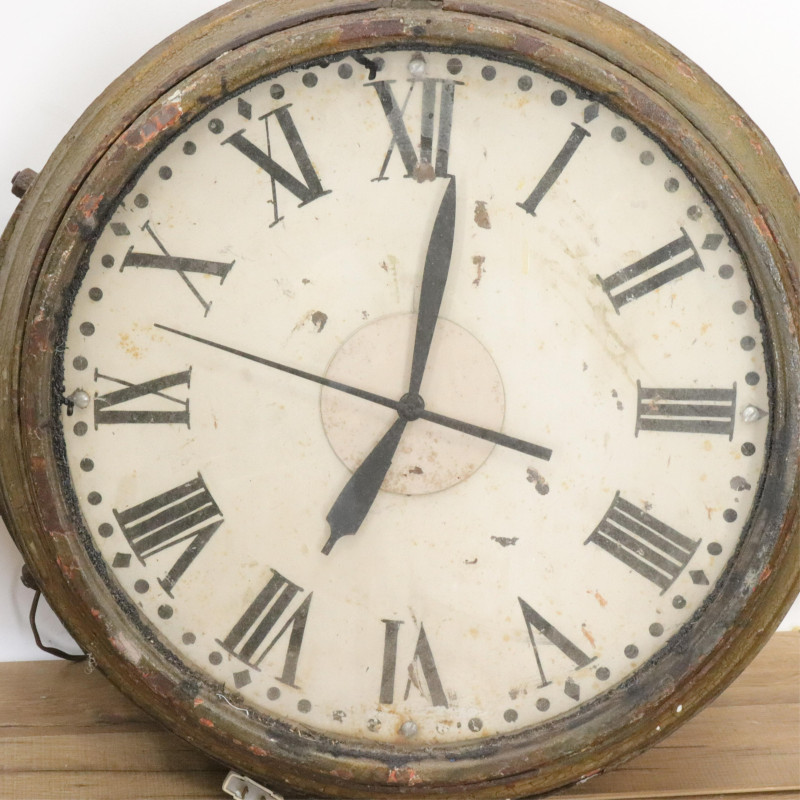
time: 7:01
